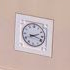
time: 2:18
